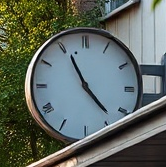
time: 4:55
